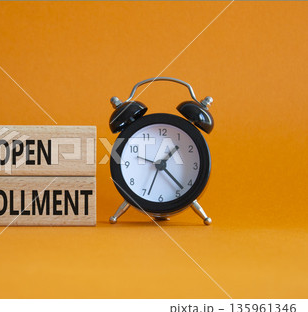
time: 1:22
